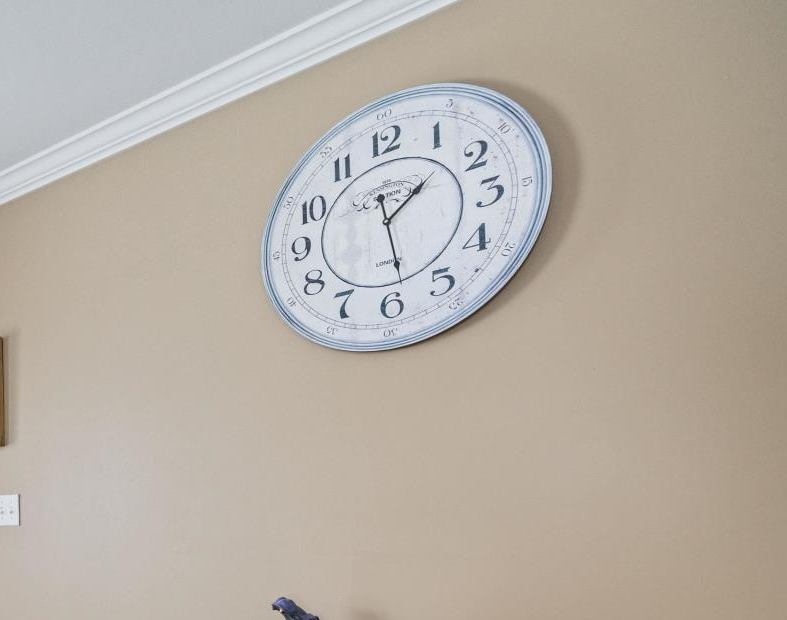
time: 1:28
